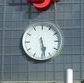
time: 5:28
